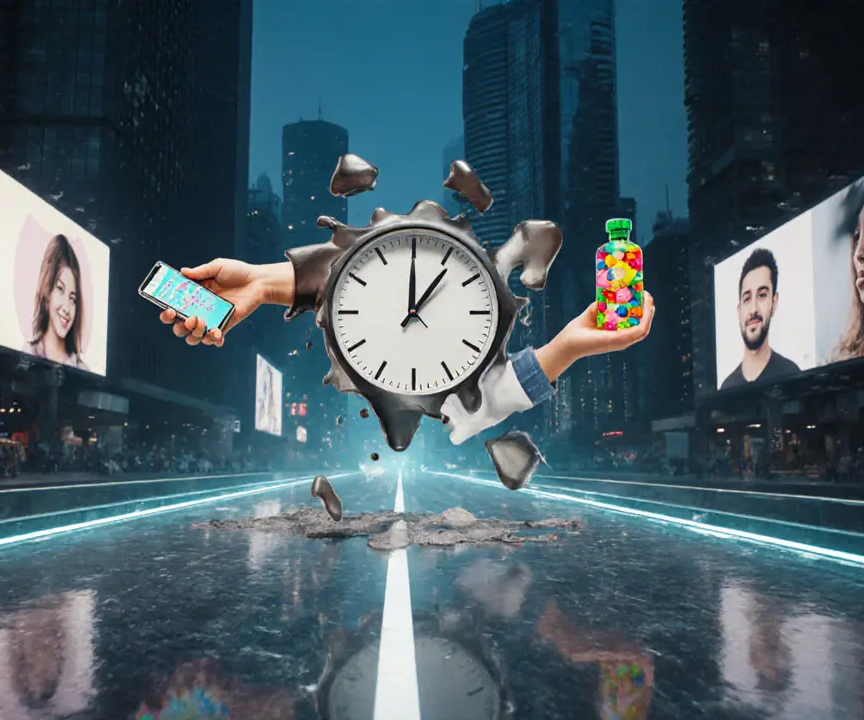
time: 1:00
